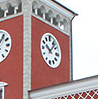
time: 10:06
